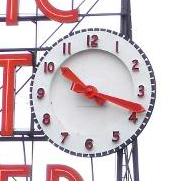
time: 10:18
